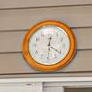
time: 12:20
